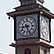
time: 8:26
